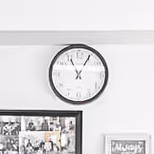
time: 11:05
